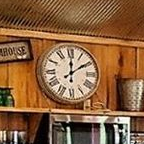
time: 12:09
